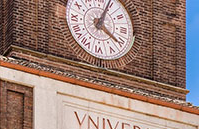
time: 4:03
